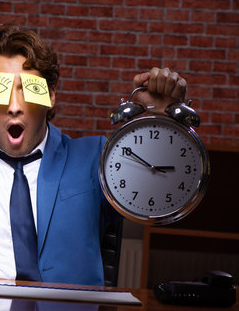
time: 2:50
